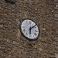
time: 6:08
